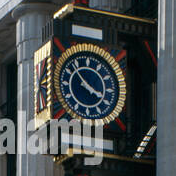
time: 3:52
